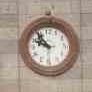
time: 9:54
